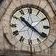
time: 10:21
